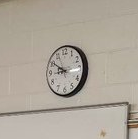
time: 8:50
